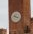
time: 4:17
